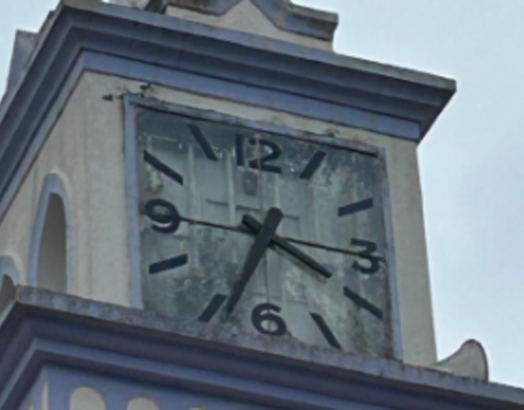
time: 3:34
